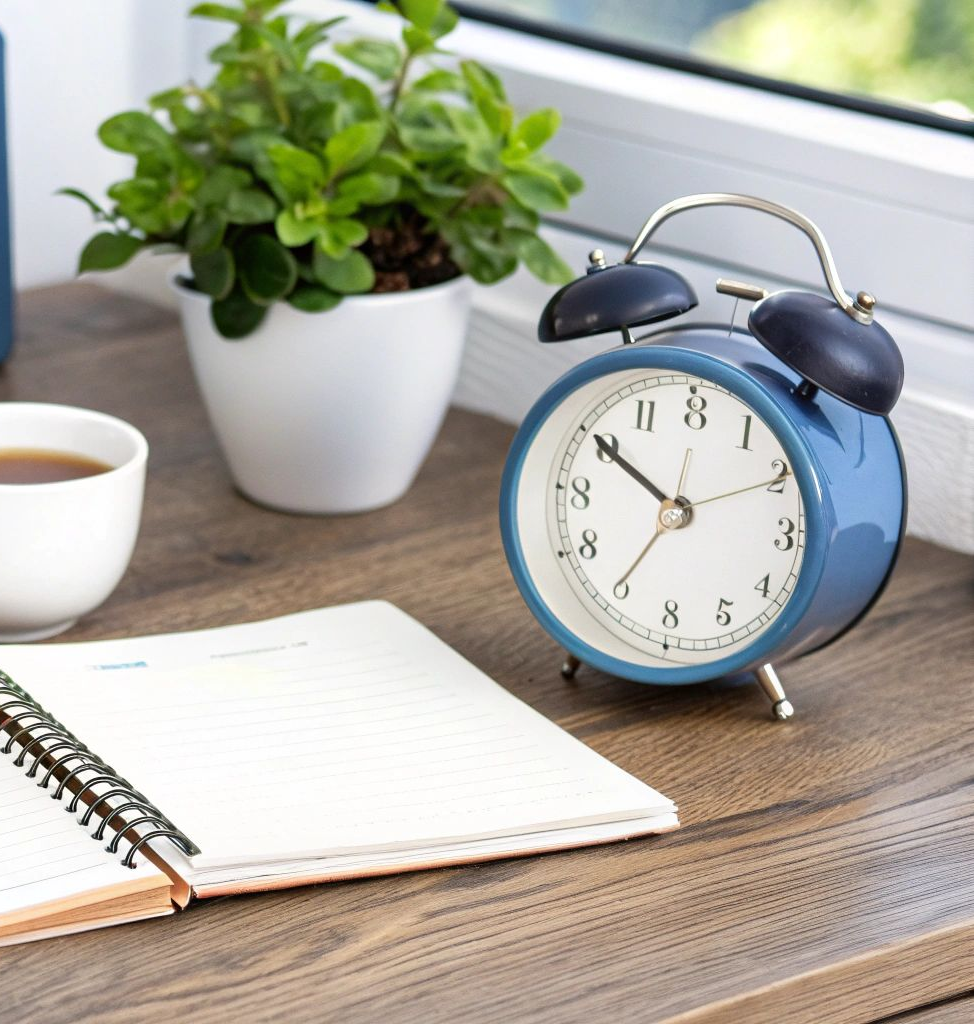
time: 9:50
